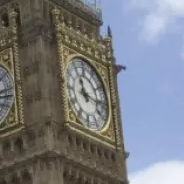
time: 11:16
